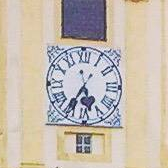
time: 5:35
